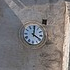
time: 4:01
